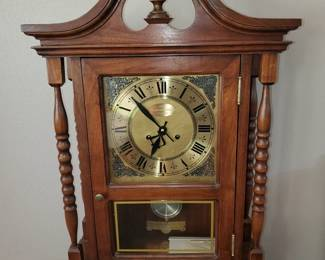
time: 6:52
